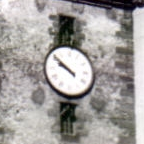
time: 9:51
